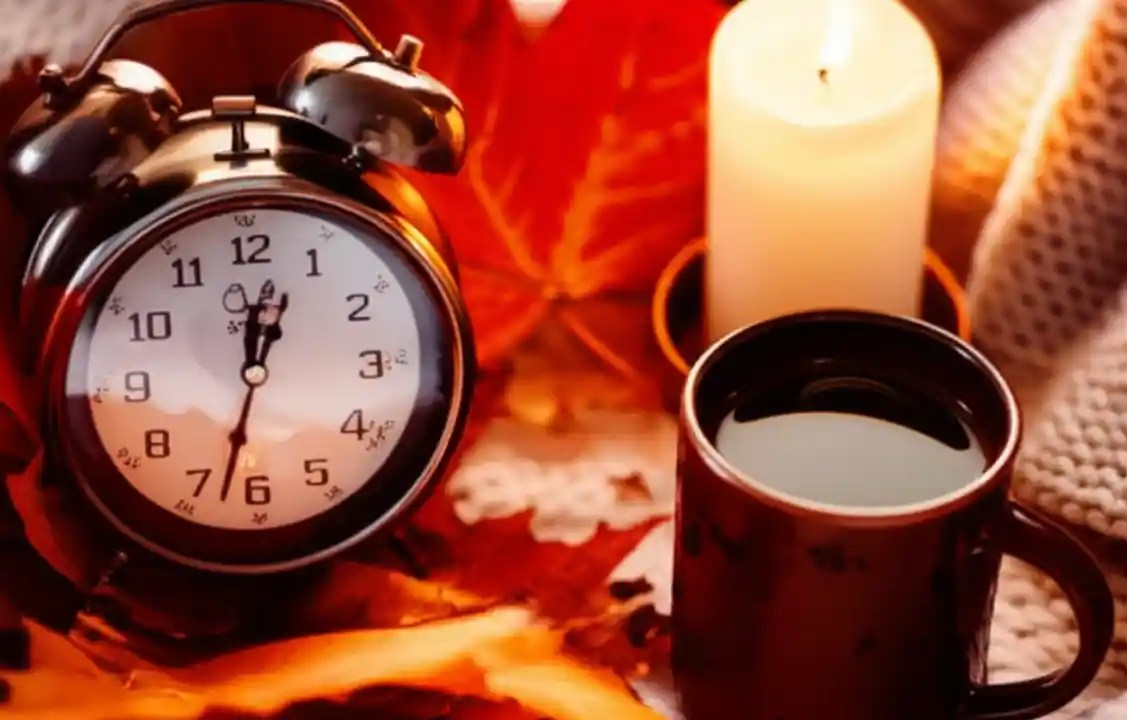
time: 12:32
